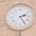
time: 2:24
